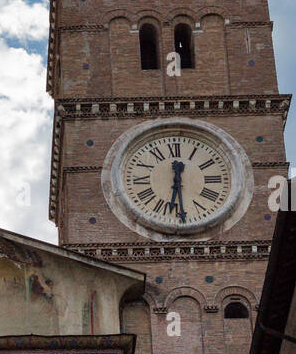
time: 6:29
